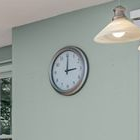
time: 3:00
